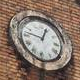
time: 12:47
